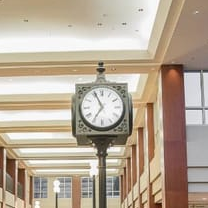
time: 6:55
